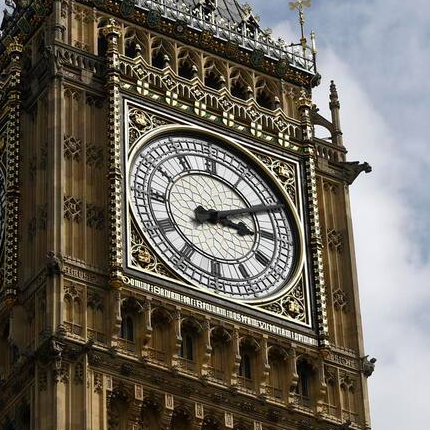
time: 3:10
